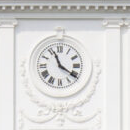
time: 11:20
